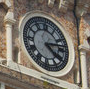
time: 4:13
